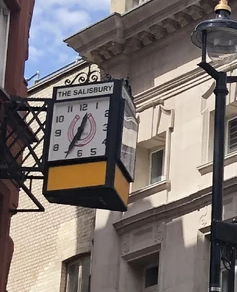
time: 6:34
